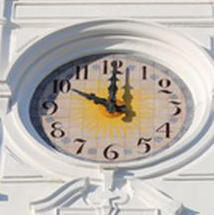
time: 10:00
